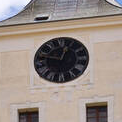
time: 12:47
